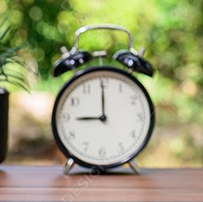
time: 9:00
